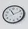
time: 11:11
